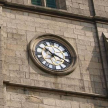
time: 10:18
